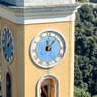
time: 12:07
